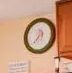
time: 12:37
